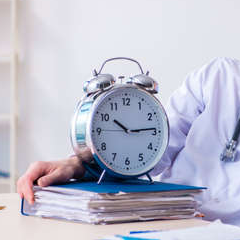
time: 10:14
